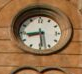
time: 8:29
